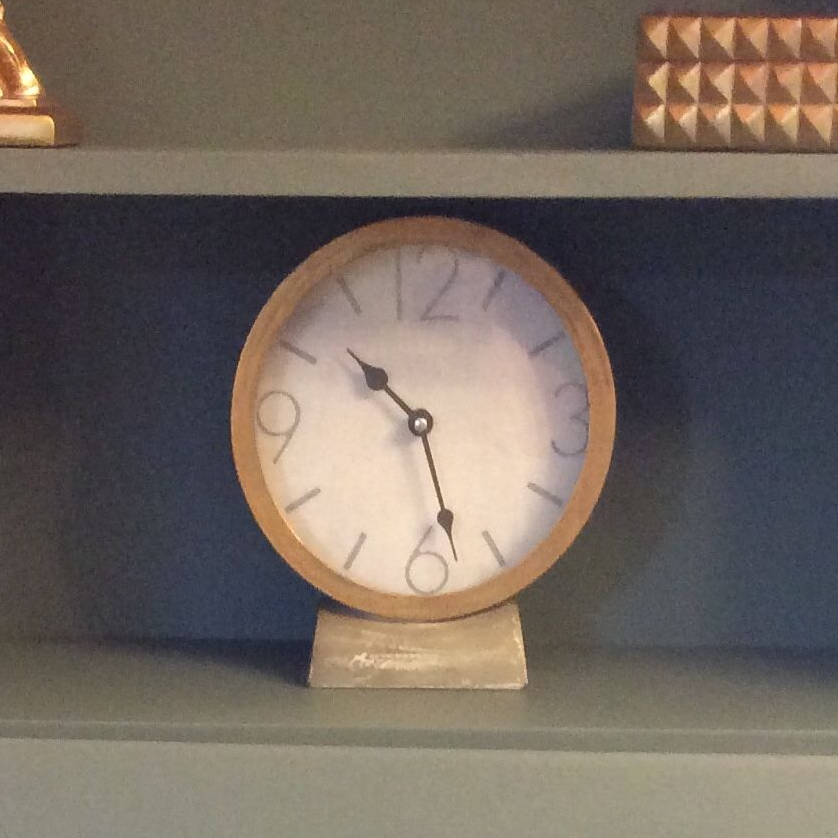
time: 10:27
